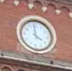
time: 3:58
